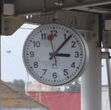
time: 3:06
